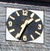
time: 1:33
